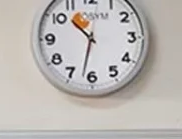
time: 10:32
